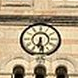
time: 6:28
